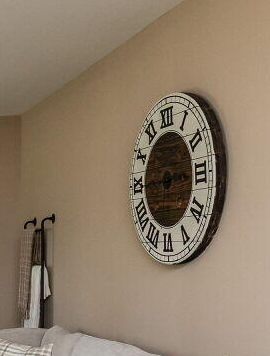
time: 2:44
